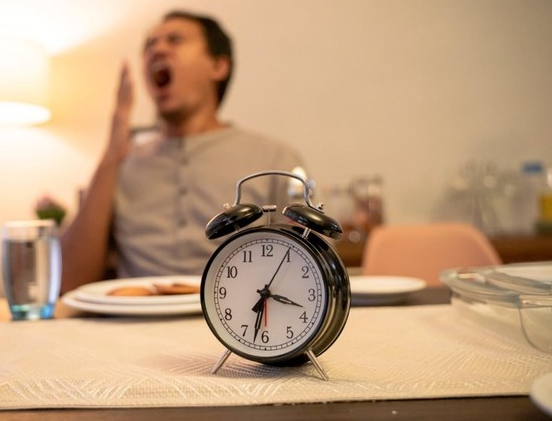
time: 3:32
